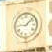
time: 9:07
